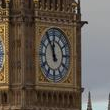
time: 11:55
